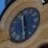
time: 11:28
